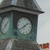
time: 1:38
